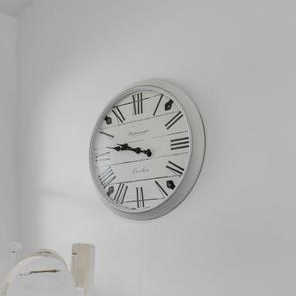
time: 9:47
